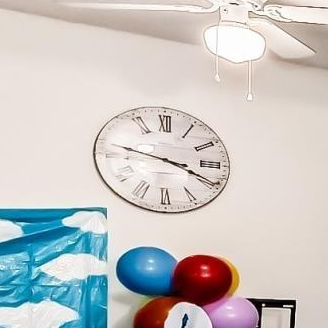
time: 3:47
